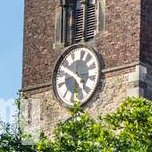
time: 4:49
